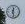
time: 12:28
